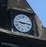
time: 9:14
